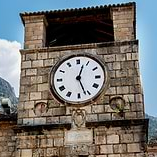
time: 12:26
